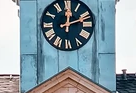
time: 12:11
